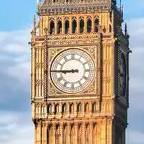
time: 8:45
